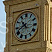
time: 10:41
